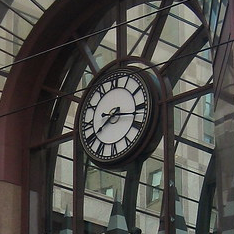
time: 8:16
